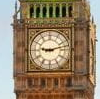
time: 9:12
